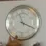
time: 11:19
